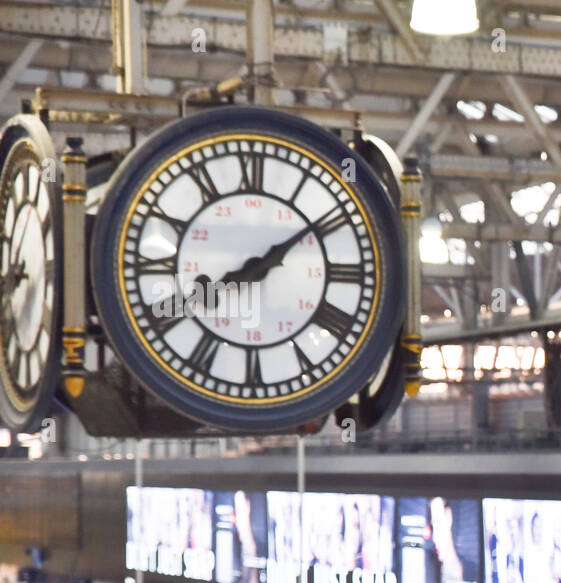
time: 8:09
